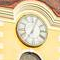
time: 7:04
